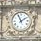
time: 1:56
